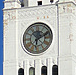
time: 6:10
